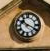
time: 10:19
